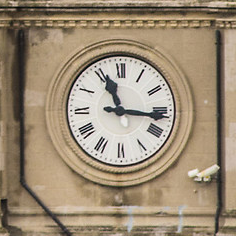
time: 11:16
